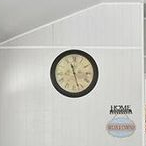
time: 11:27
